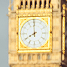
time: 7:59
